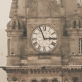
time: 2:56
